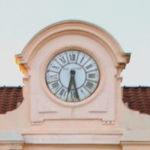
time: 6:28
